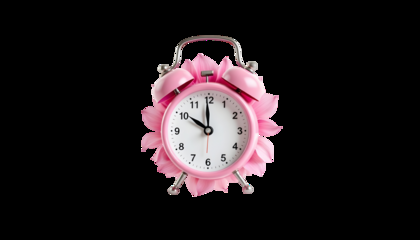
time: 9:59
